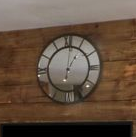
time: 1:01
